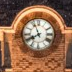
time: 7:56
